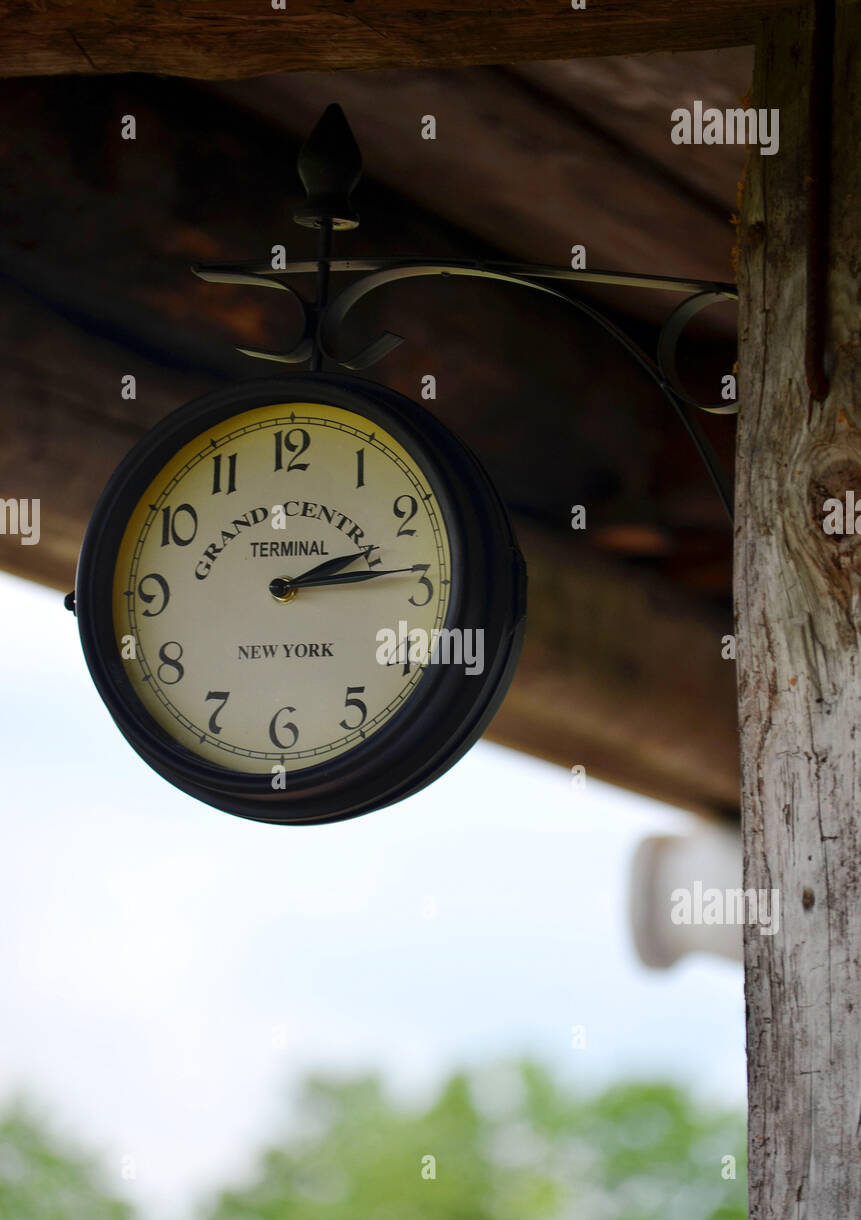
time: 2:14
